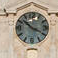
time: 10:19
